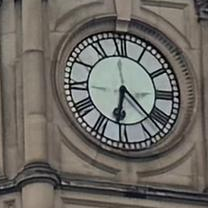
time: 6:21
